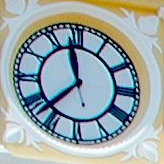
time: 11:37
